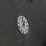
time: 6:58
